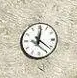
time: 12:21
